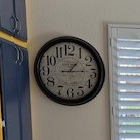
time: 1:14
